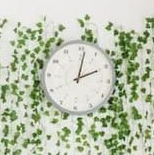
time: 2:01
